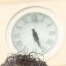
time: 5:26
